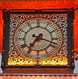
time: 7:18
